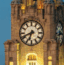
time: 6:41
